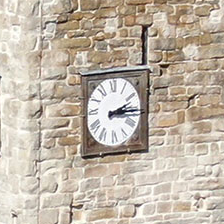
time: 2:14
